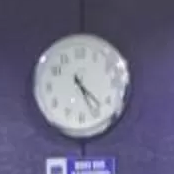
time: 4:25
